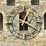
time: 12:19
